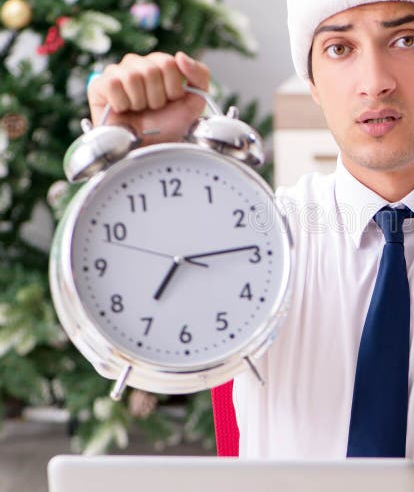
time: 7:14
